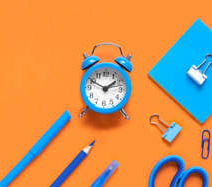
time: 1:49
